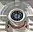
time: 12:28
